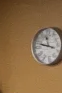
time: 11:47
